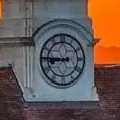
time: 8:45
